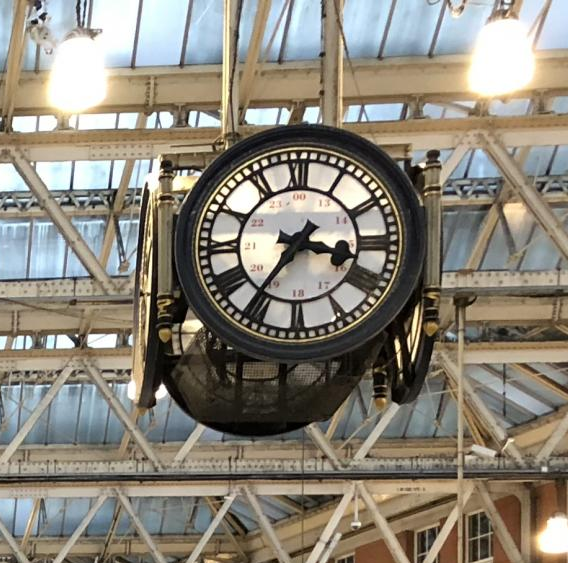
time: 3:36
